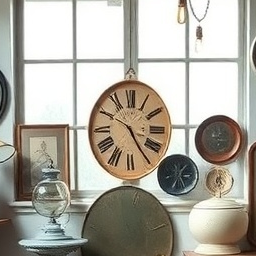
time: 4:50
